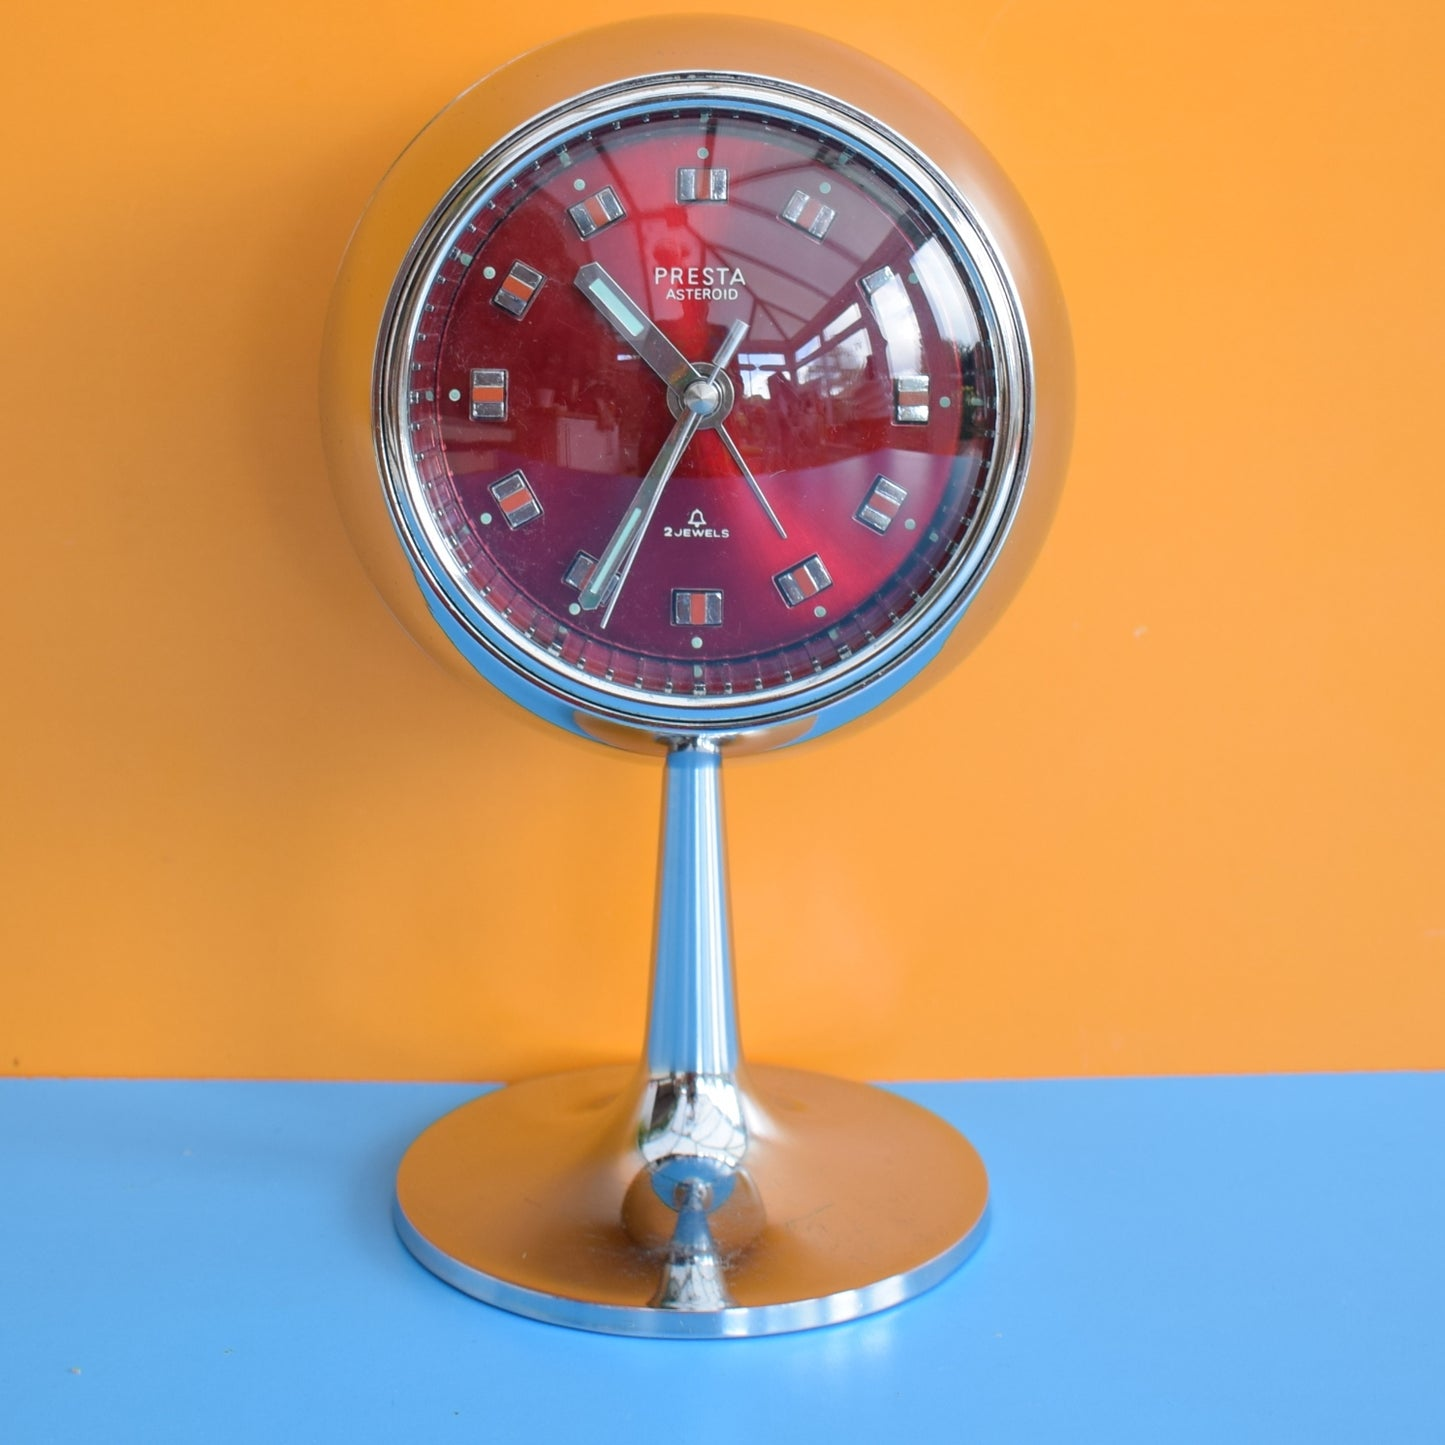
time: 10:34
